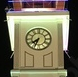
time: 7:33
